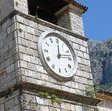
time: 12:12
